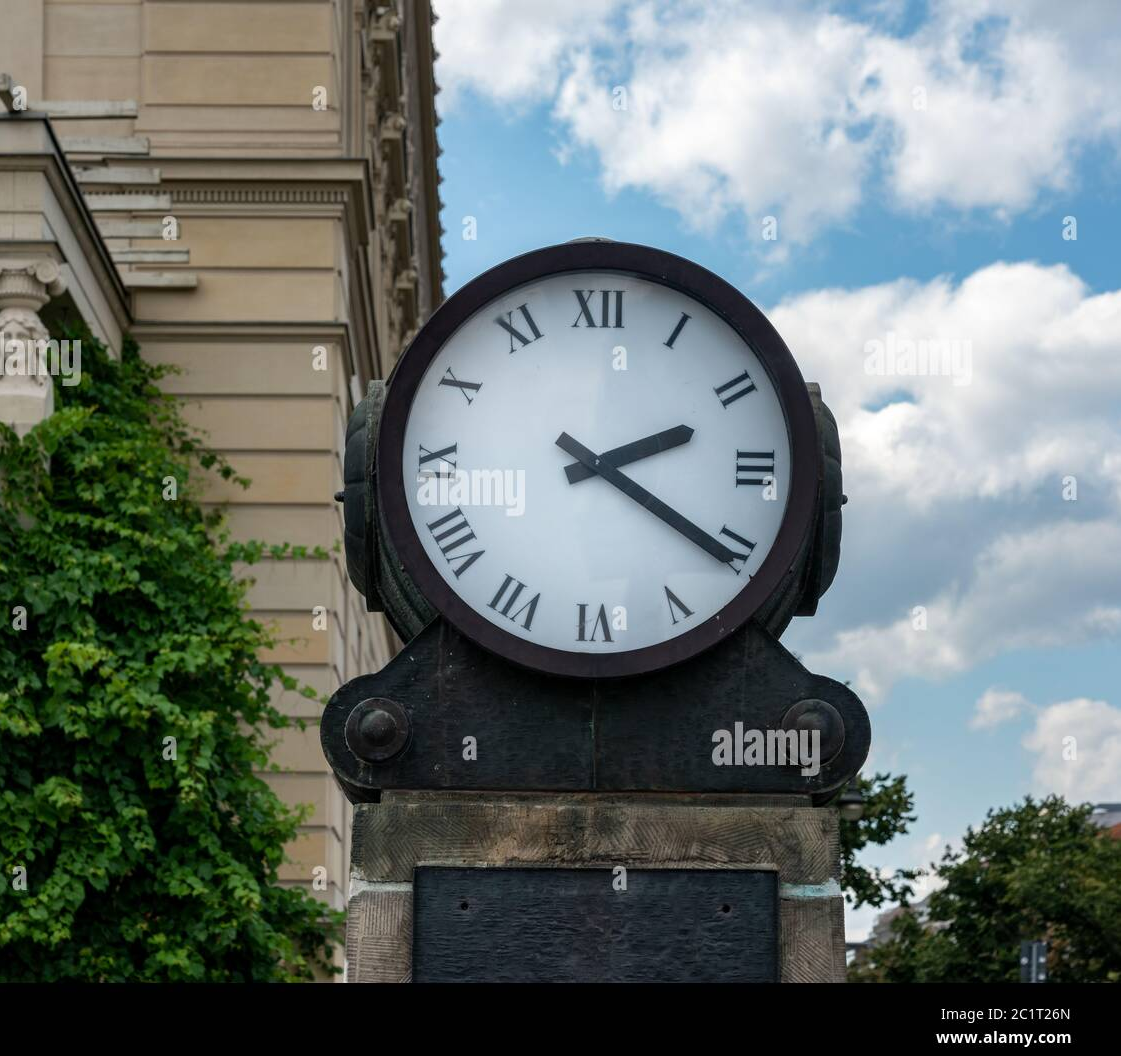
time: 2:20
